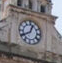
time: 12:40
